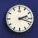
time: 2:18
